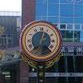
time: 12:37
